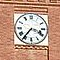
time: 3:36
